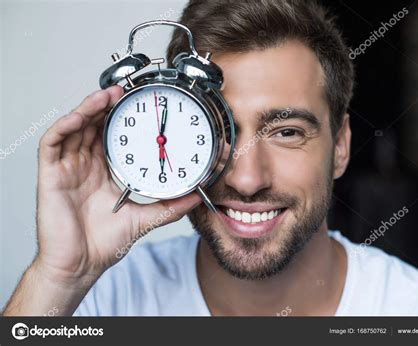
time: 6:01
